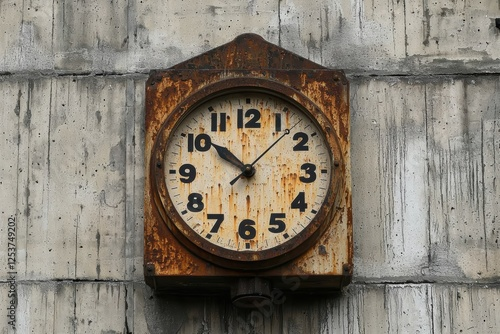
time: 10:07
